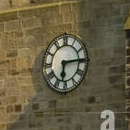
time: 6:14
